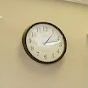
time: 1:12
